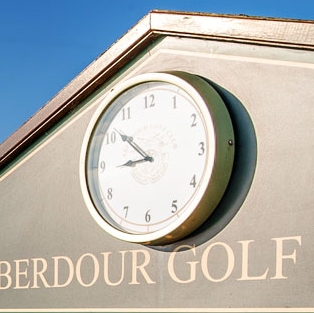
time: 8:51
